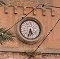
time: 5:33
